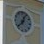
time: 12:37
